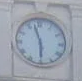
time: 5:57
